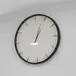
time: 1:03
